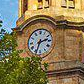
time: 2:33
